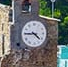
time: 4:45
